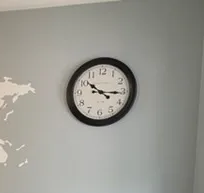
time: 10:15
